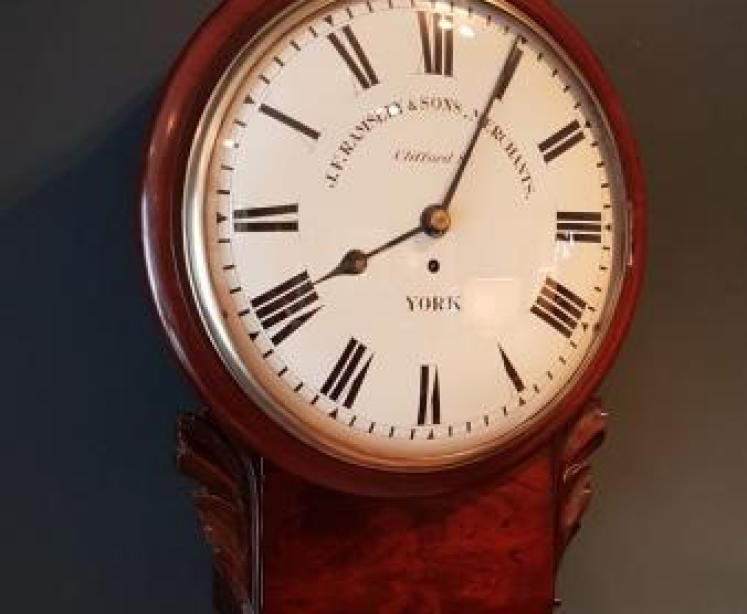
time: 8:04
